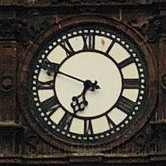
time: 6:48
